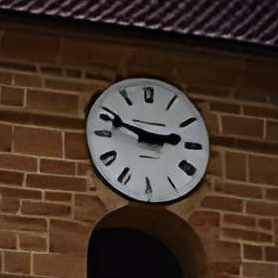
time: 2:48
